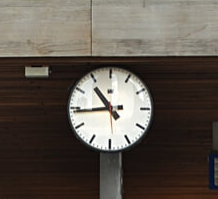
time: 10:44
